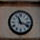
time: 11:18
